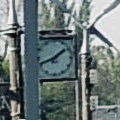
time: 1:41
